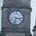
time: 3:32
